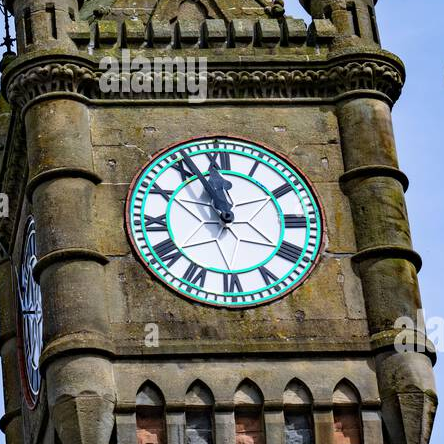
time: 11:55
